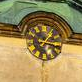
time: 1:16
